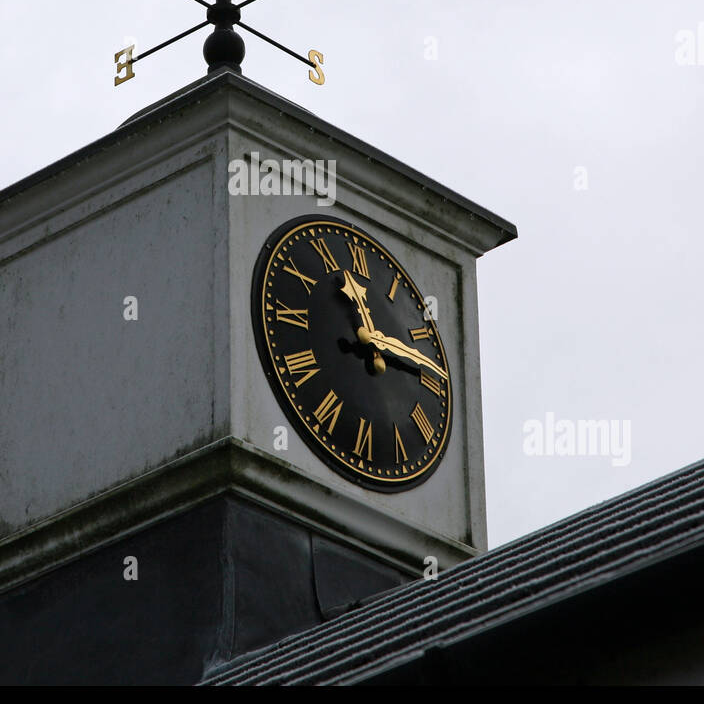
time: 11:14
